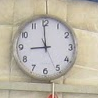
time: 8:59
